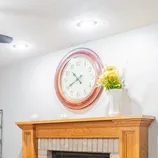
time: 10:40
